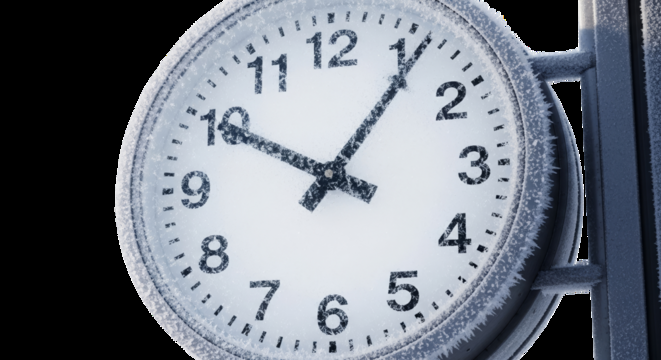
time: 10:06
